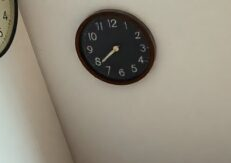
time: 7:38
